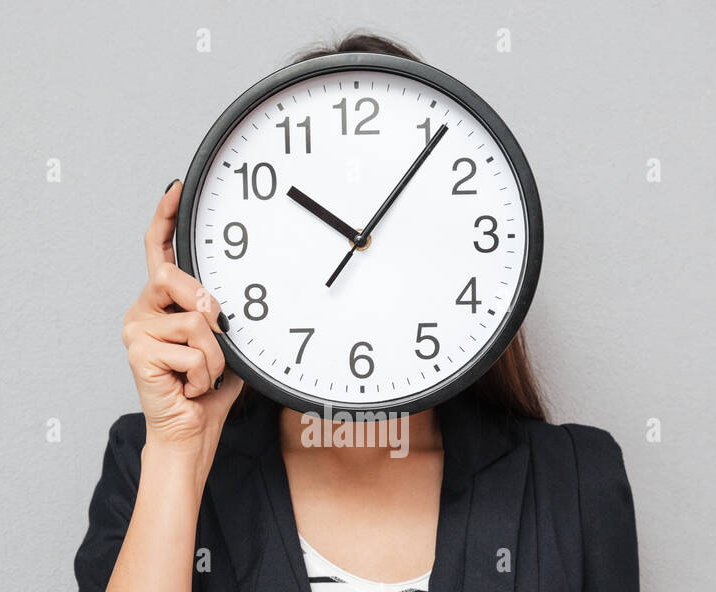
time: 10:06
